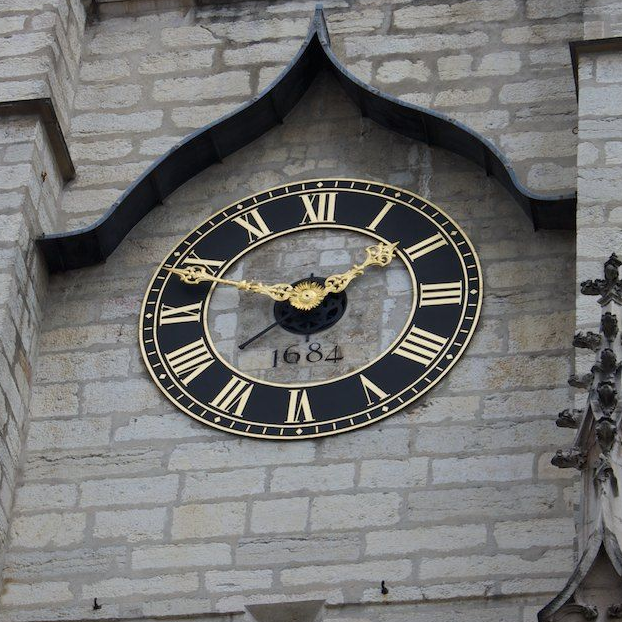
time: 1:49
